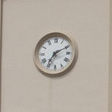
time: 7:10
